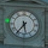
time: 5:36
